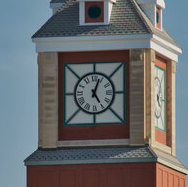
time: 5:03
